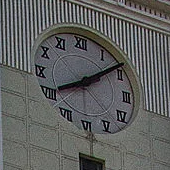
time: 8:09
